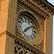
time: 7:09
